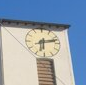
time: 6:12
